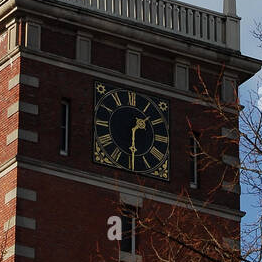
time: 1:29
